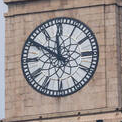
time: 11:50
